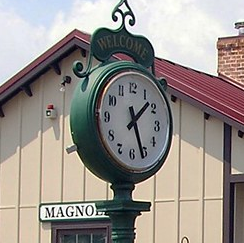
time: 1:26
